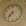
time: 7:37
